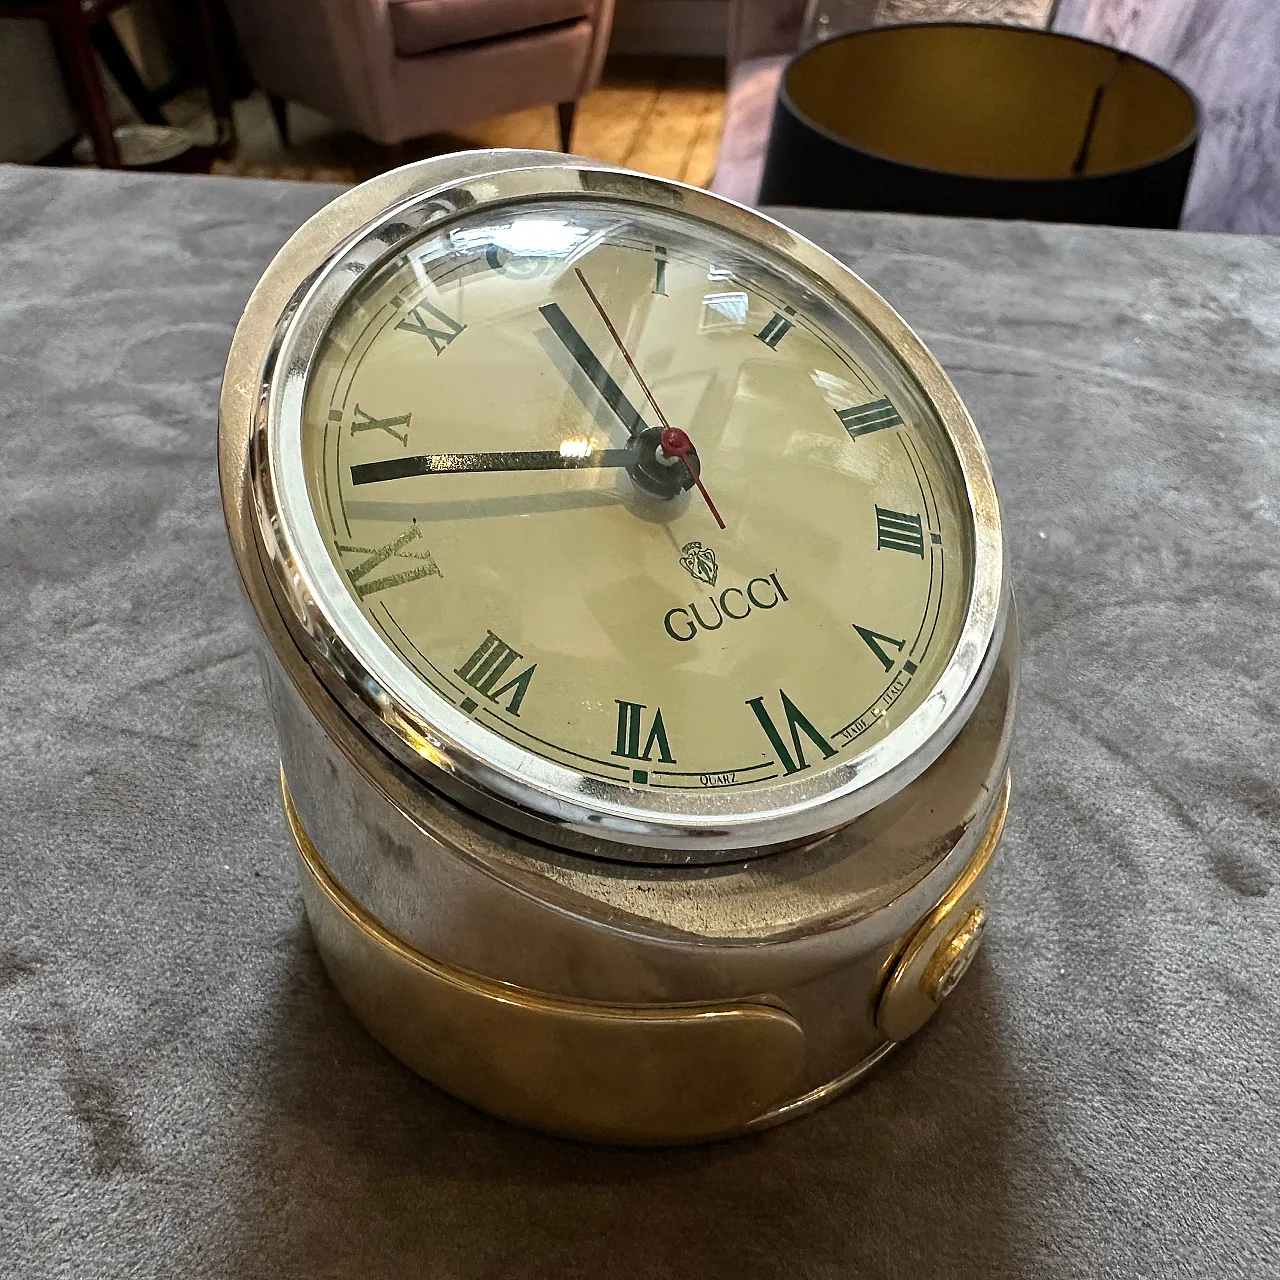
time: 10:43
